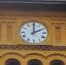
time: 2:00
